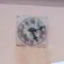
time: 5:11
